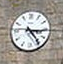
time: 3:24
